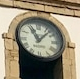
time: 11:07
